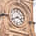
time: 3:40
